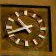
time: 10:41
